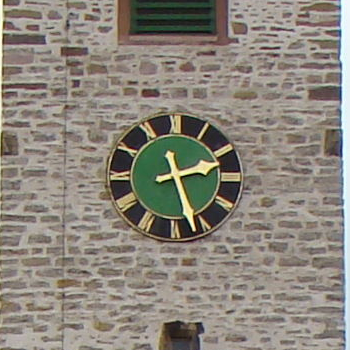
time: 2:26
